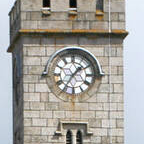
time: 1:35
